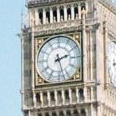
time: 2:27
